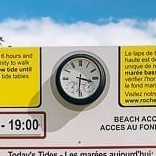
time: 3:30
